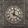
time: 12:19
